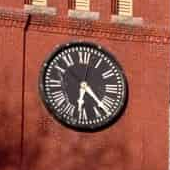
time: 6:23
